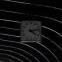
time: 4:12
